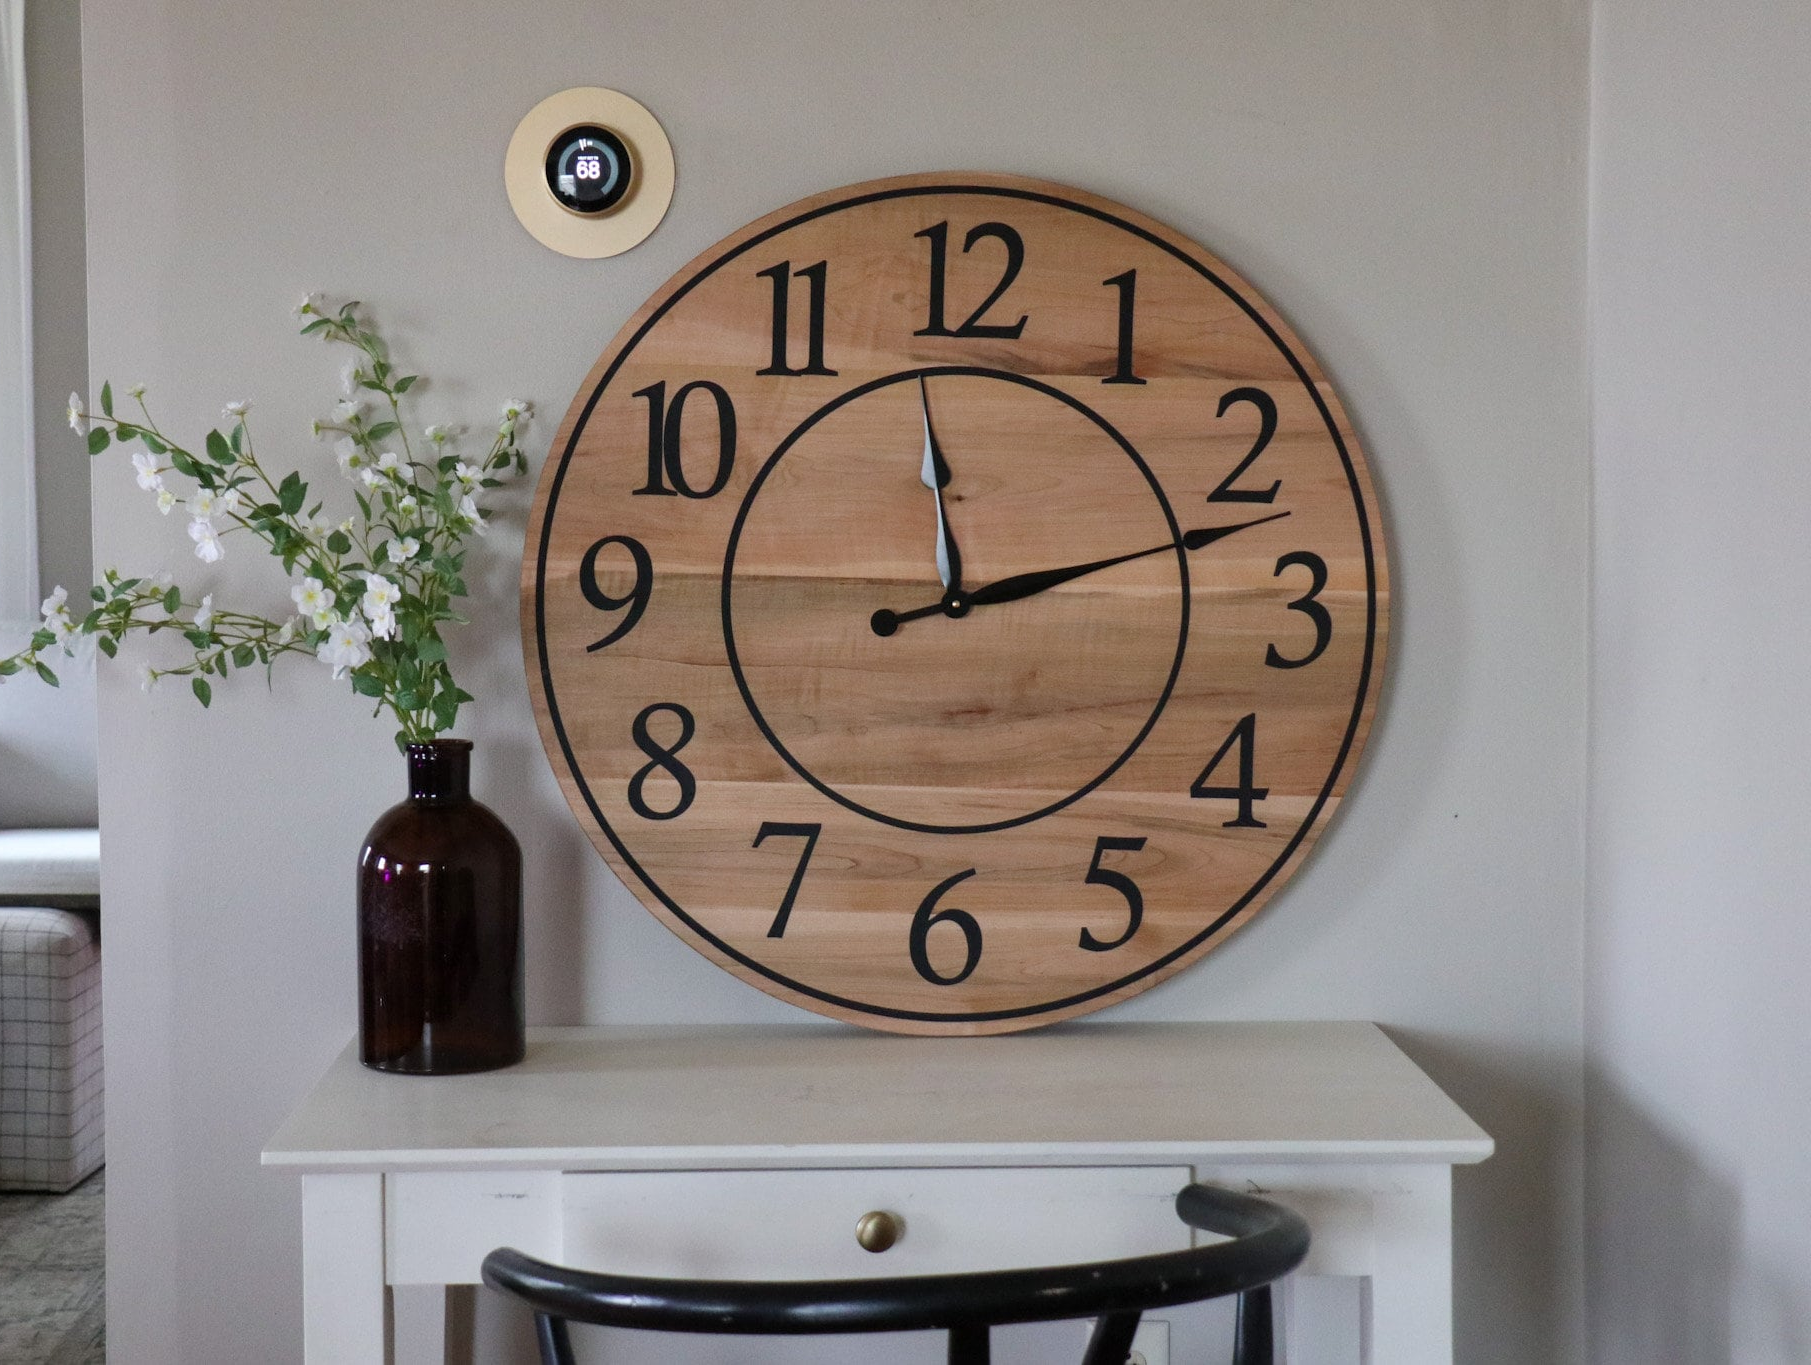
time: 12:12
